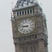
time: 8:47
